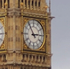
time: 2:54
